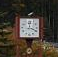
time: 12:18
